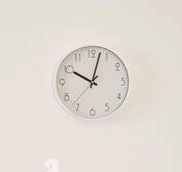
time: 10:02
